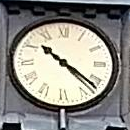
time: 10:21
